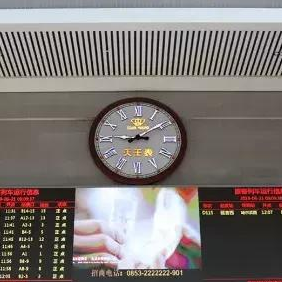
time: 9:09
